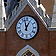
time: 12:57
